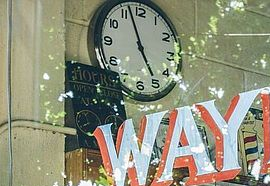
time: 4:56
